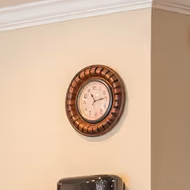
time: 11:13
